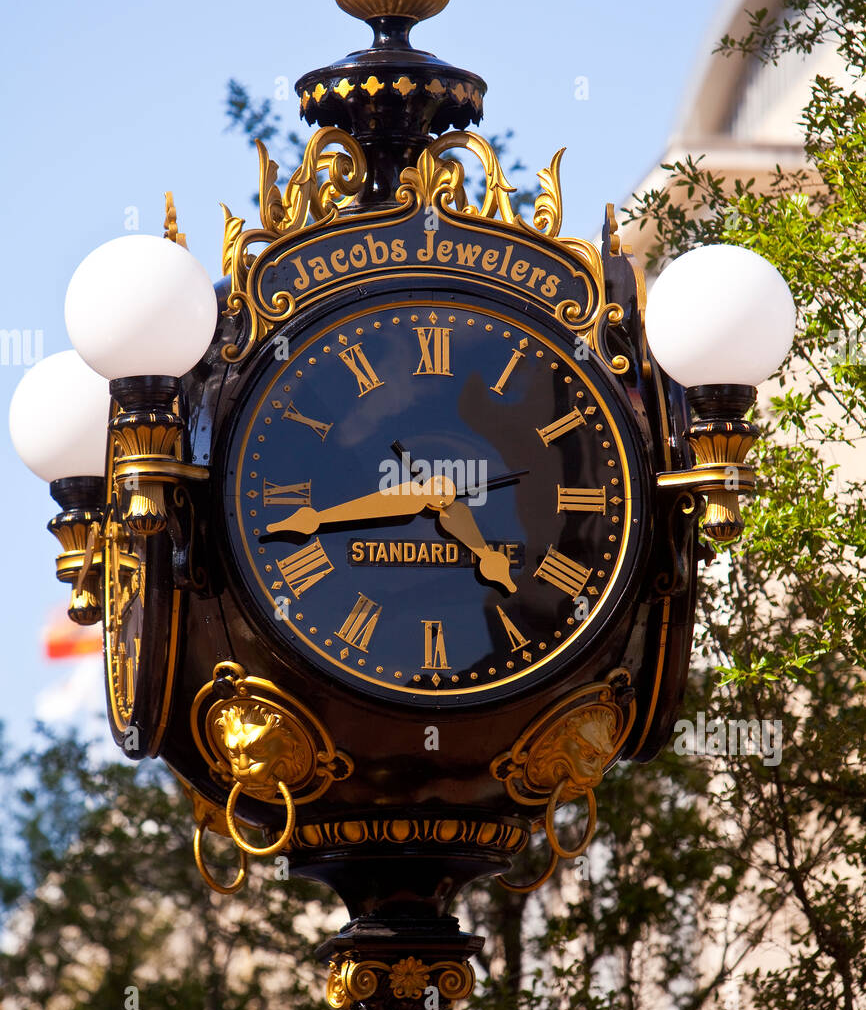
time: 4:43
